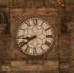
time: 8:39
